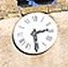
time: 2:29
